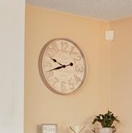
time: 9:42
